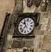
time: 10:36
